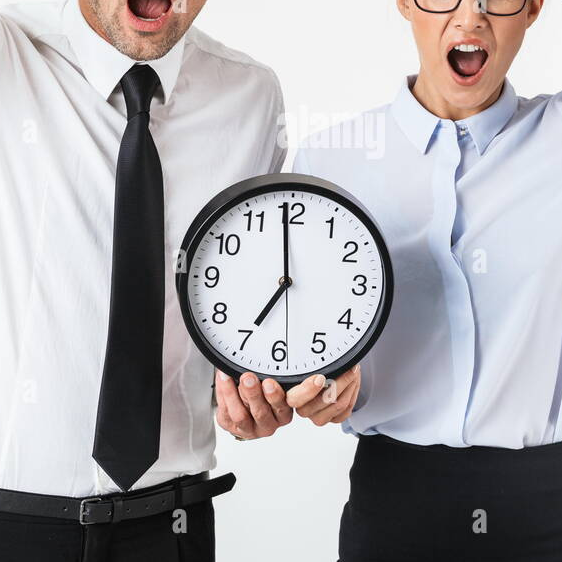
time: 6:59
